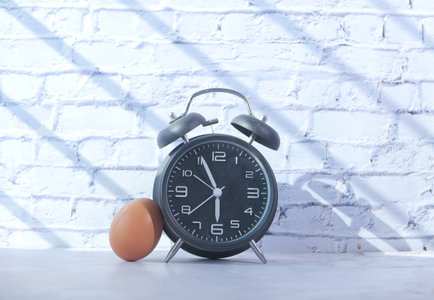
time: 5:56
